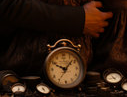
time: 10:07
